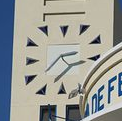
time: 2:38
